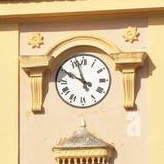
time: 9:56
